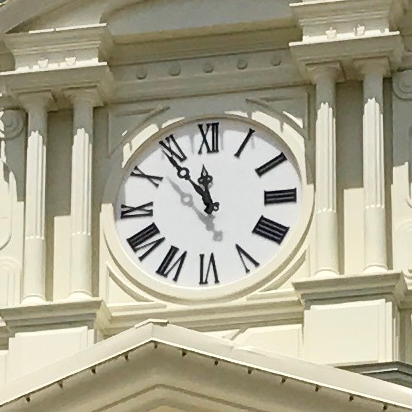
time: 11:53
